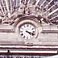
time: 4:17
